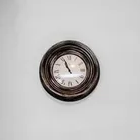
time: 10:56
